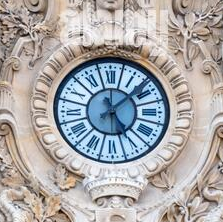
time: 5:08
